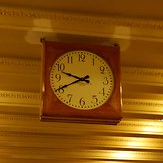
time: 9:40
